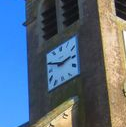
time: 2:48
